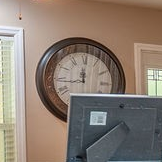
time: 12:01
